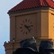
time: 3:23
